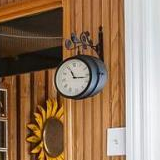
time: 11:17
